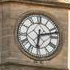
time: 6:12
